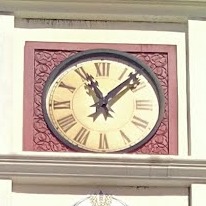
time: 11:07
